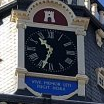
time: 10:33
